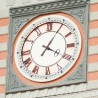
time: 4:05
